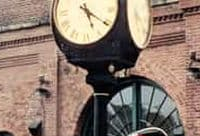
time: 5:20
